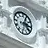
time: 3:04
